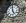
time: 4:59
